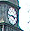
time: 3:43
